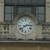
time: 2:38
